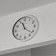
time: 11:21
